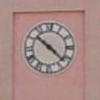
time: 10:22
